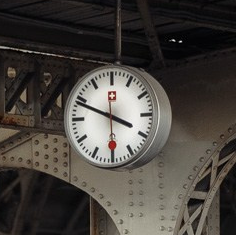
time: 3:48
